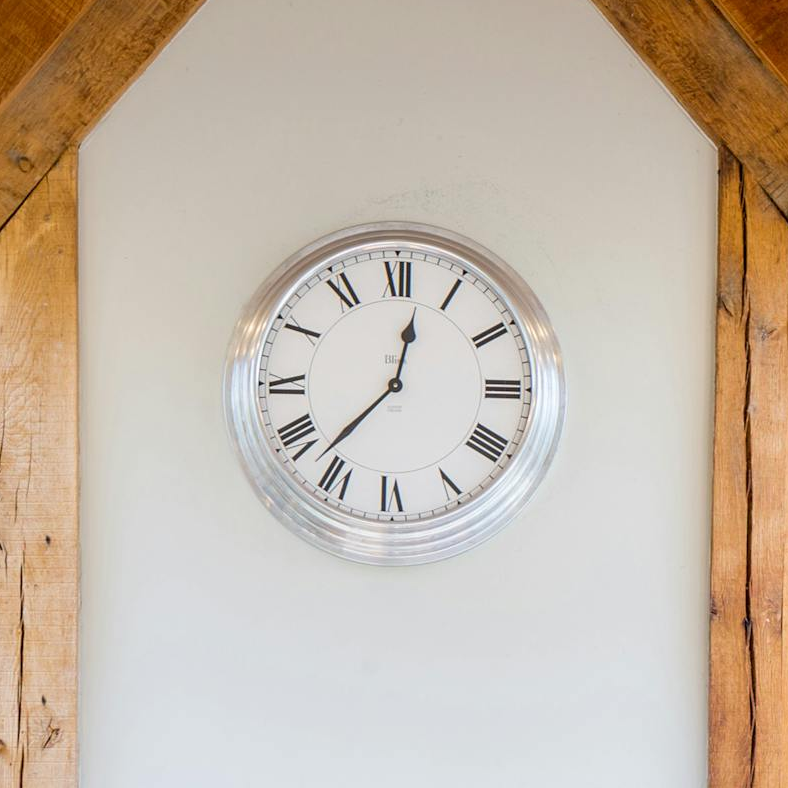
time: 12:37
